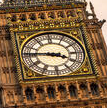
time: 3:46
